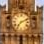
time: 7:11
